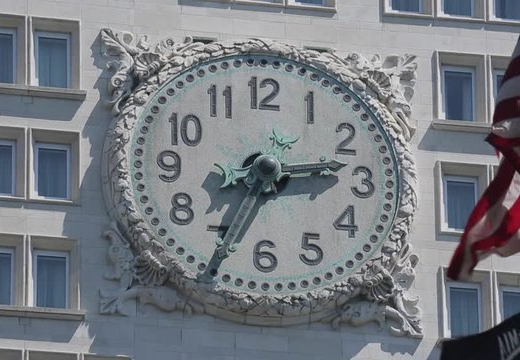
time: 2:33
